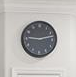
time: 9:12
